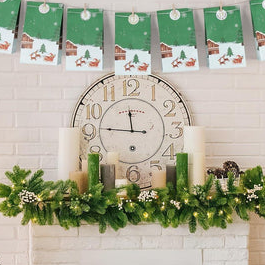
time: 11:46
